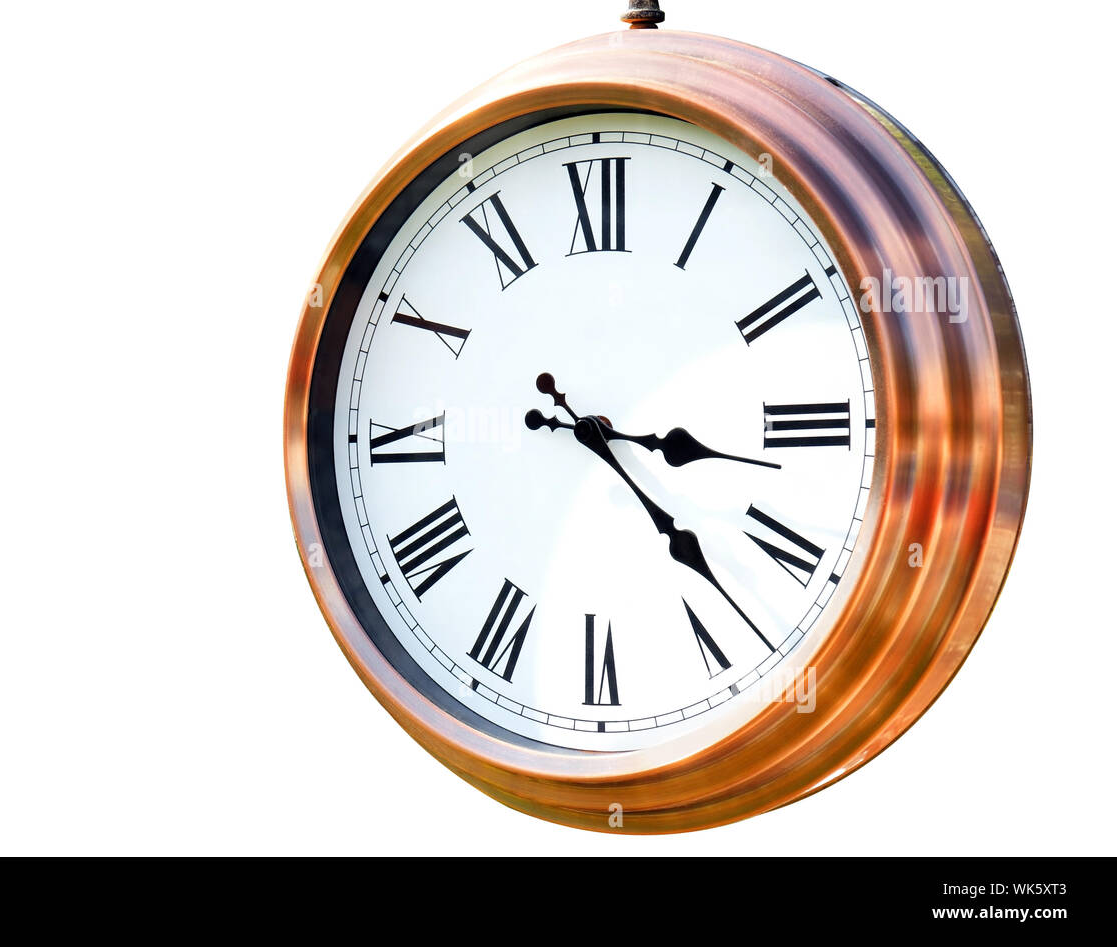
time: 3:22
